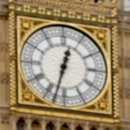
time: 12:32
